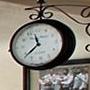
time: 11:38
